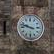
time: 9:47
